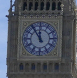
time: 11:54
